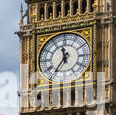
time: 11:35
